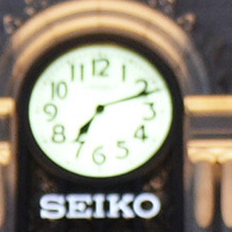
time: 7:11
